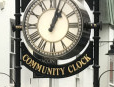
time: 1:03
